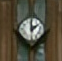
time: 1:59
